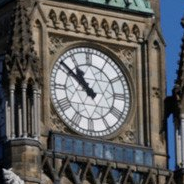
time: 10:51
